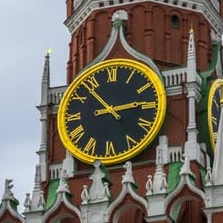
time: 2:53
